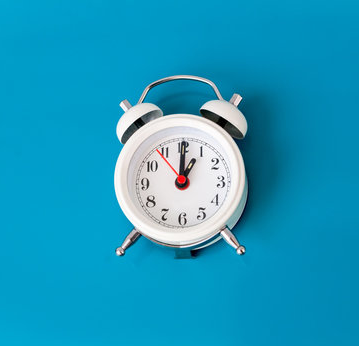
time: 1:00
